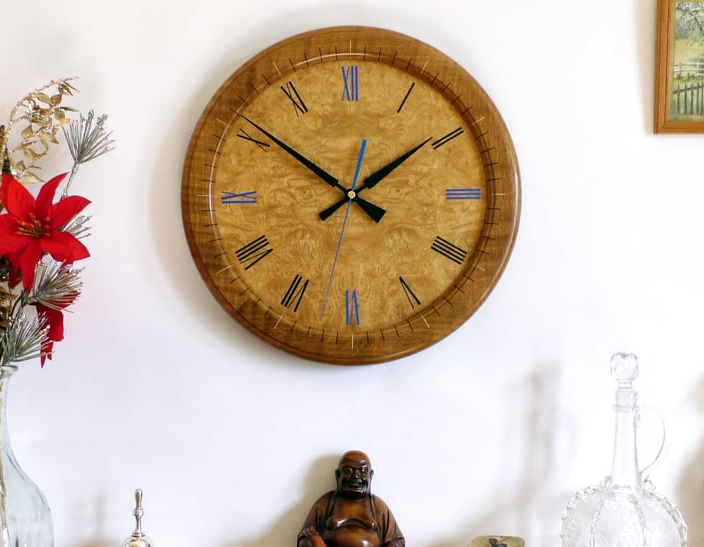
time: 1:51
